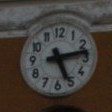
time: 5:12
